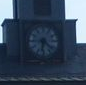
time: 6:21
